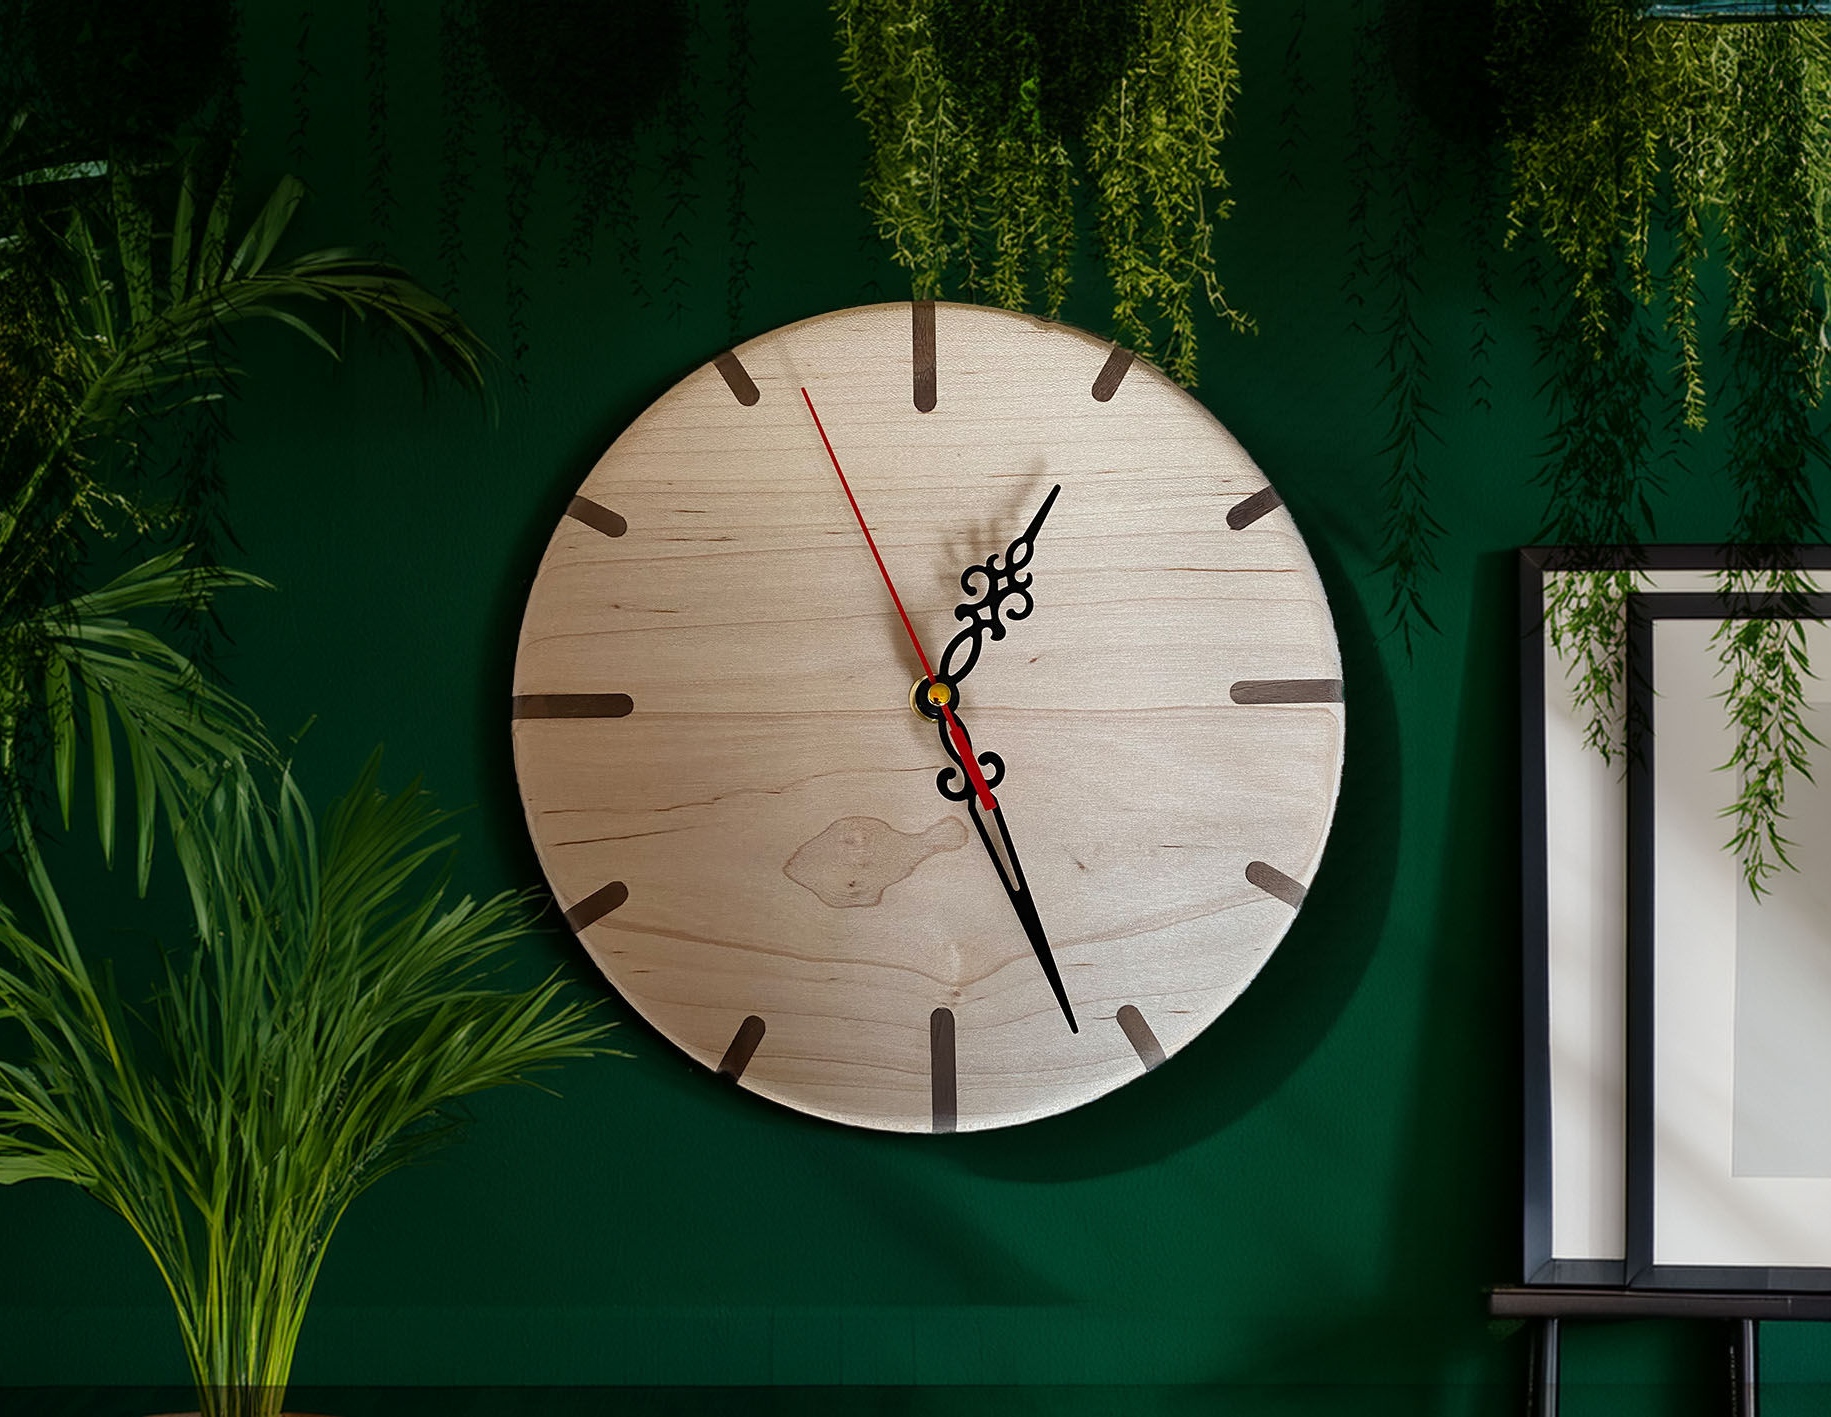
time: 1:26
